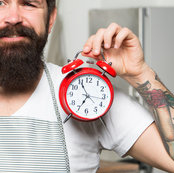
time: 6:55
